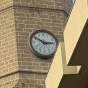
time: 2:50
